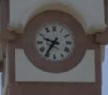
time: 9:35
